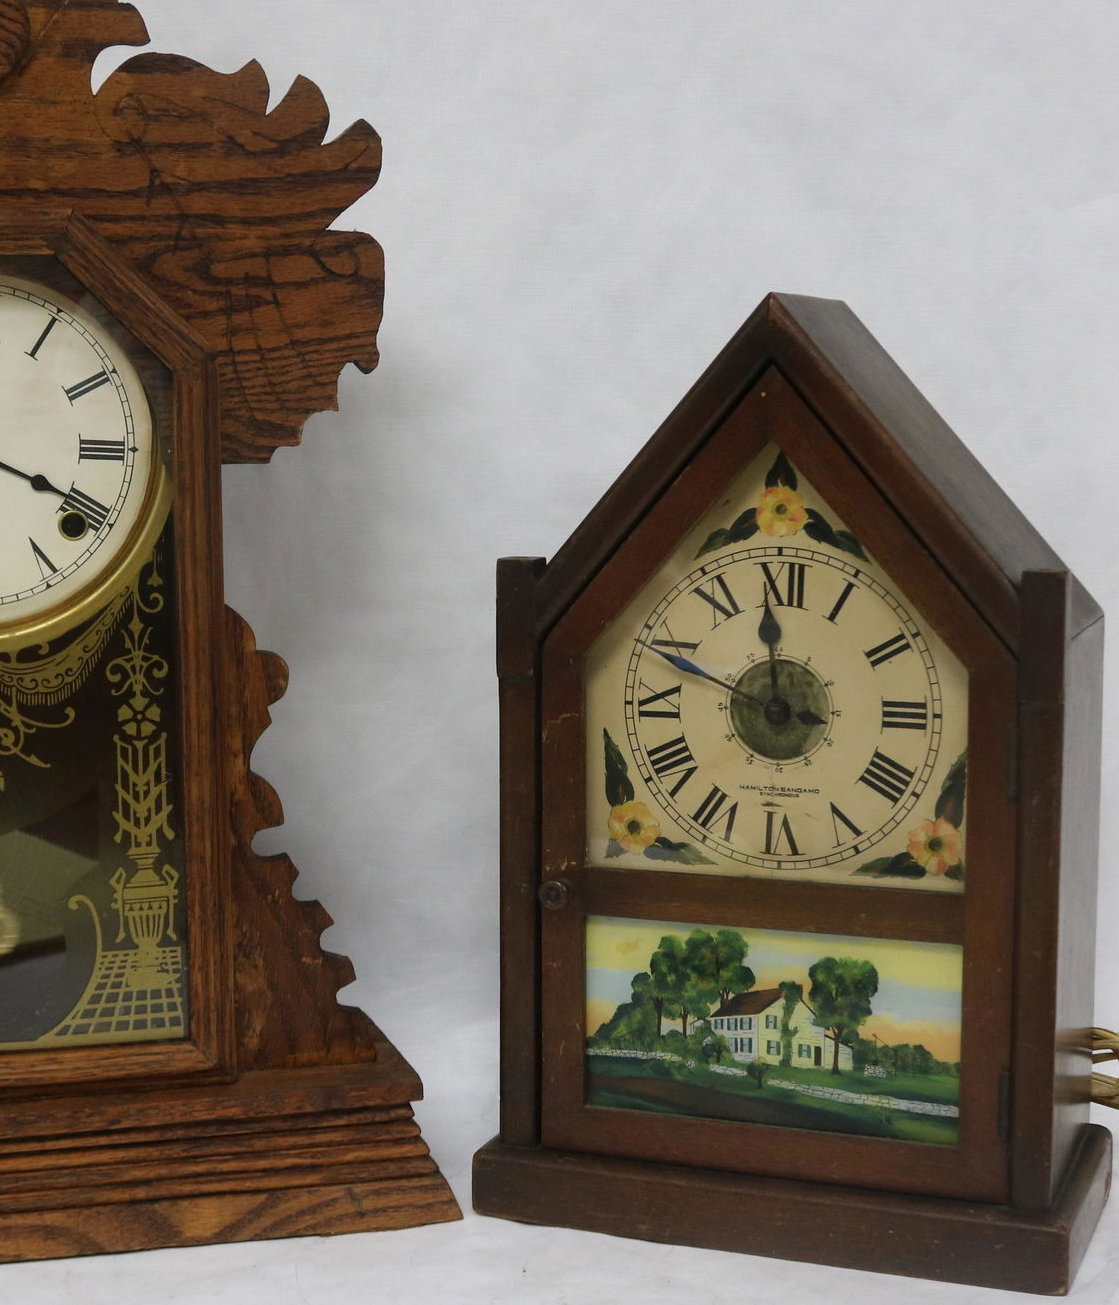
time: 11:50
